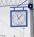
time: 11:07
